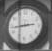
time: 2:43
